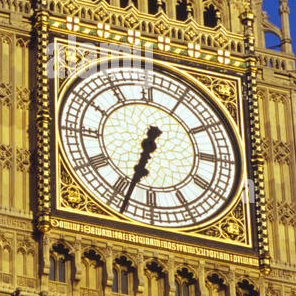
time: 6:33
